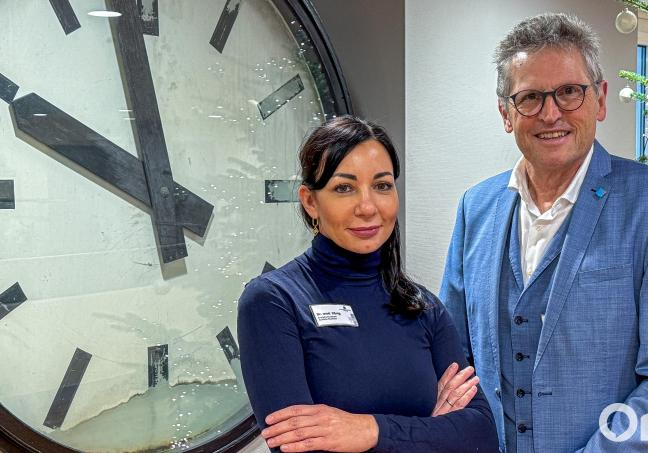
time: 11:49
